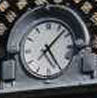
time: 5:07
